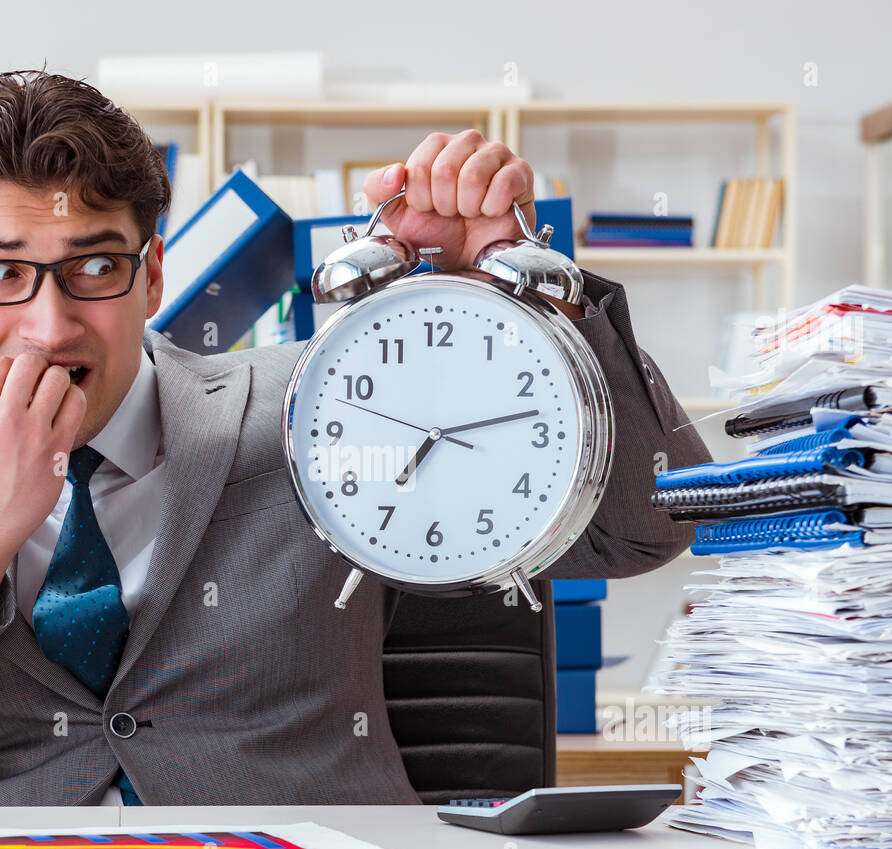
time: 7:13
